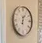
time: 12:04
